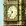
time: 10:36
